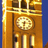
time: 6:14
